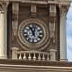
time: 11:02
